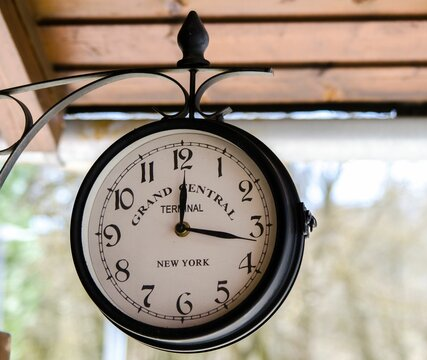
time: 12:16
